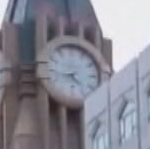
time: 4:42
